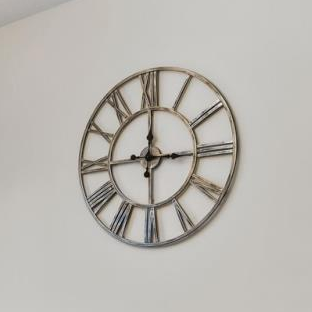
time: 3:00
